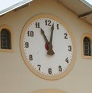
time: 11:02
